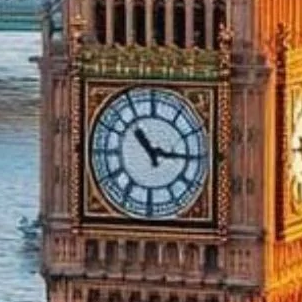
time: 10:15
